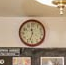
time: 11:32
